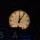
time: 12:06
